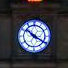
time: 10:20
